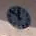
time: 11:51
